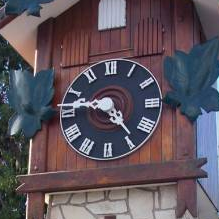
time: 4:47
